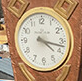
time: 4:17
